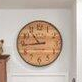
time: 10:43
